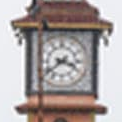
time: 3:39
